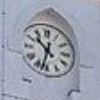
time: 10:32
